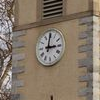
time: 3:00
